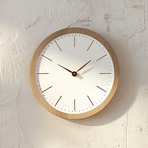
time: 1:49
